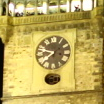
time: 7:47
